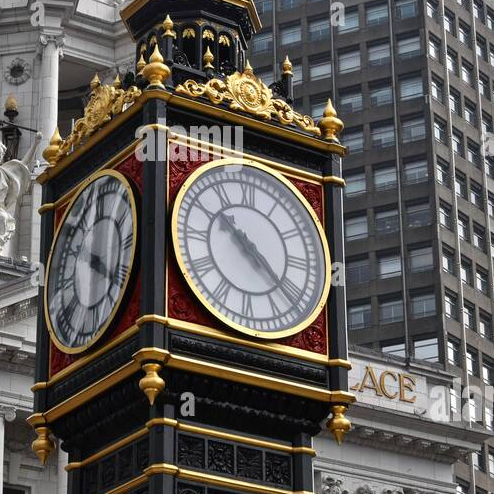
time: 10:22
